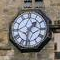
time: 1:32
